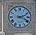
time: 2:18
